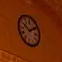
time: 10:10
